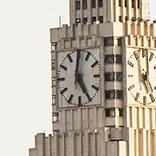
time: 5:00
